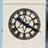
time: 10:19
